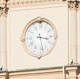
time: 3:28
